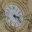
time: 3:22
